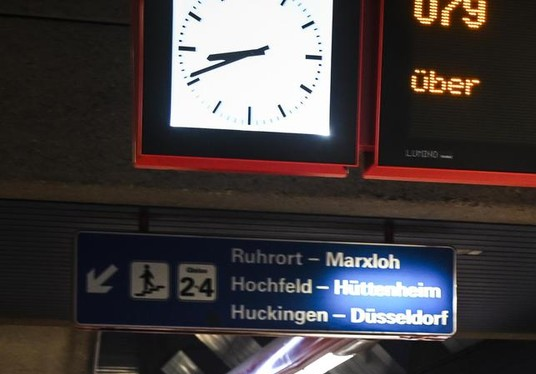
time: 8:41
